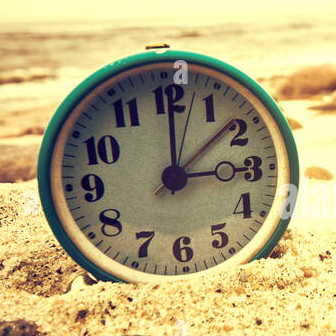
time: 3:00
